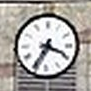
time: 3:35
